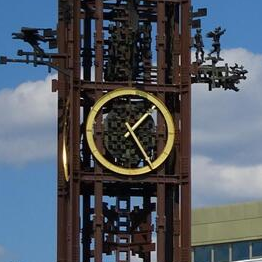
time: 1:24
